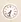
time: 7:32
